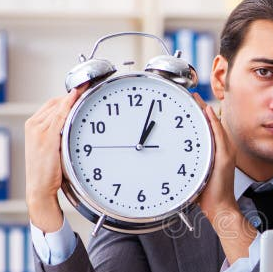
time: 1:03
